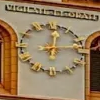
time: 12:13
